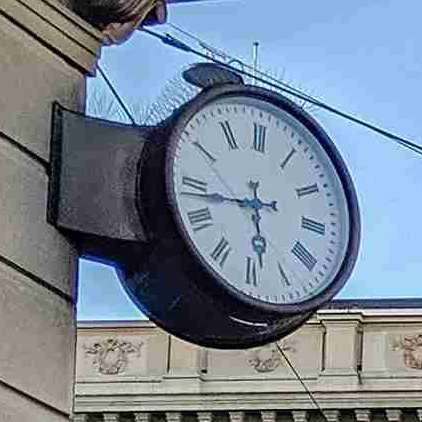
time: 5:43
